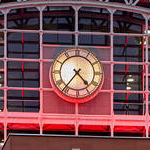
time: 4:36
